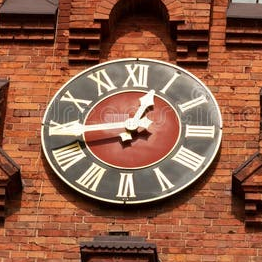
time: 12:44
